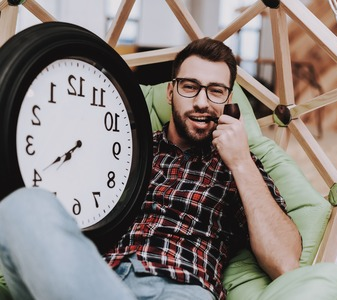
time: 7:40
